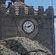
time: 1:43
